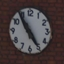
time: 4:54
